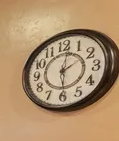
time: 2:01
